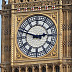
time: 2:48
